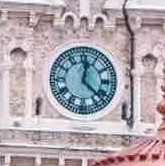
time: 12:22
